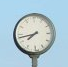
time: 7:42
